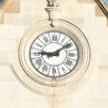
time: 9:09
